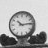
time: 10:13
